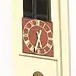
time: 5:33
